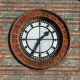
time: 1:34
